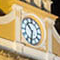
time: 10:32
